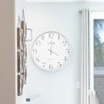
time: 4:01
